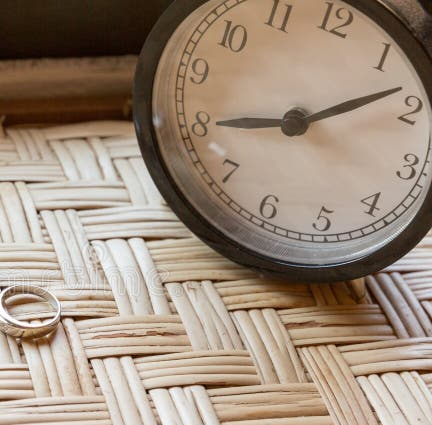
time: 8:08
